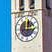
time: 12:16
